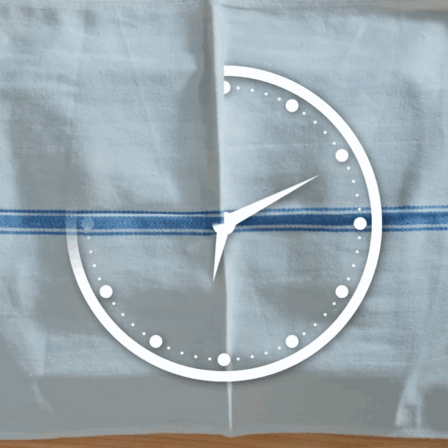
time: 1:59
